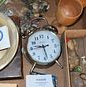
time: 9:28
